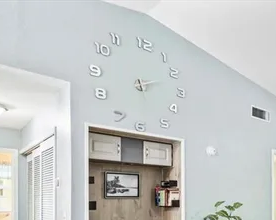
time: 2:11
